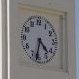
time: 4:32
